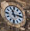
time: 11:13
